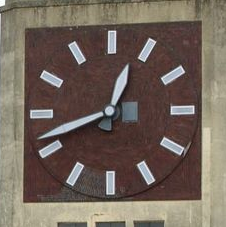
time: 12:41
